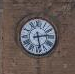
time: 2:28
